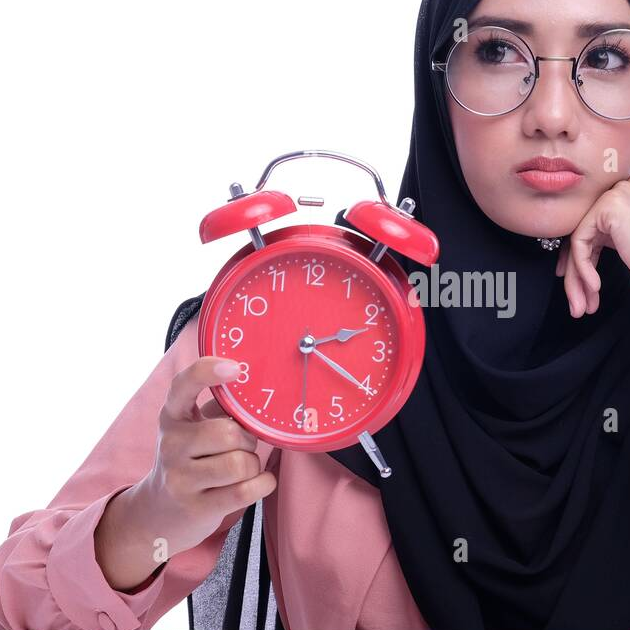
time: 2:20
